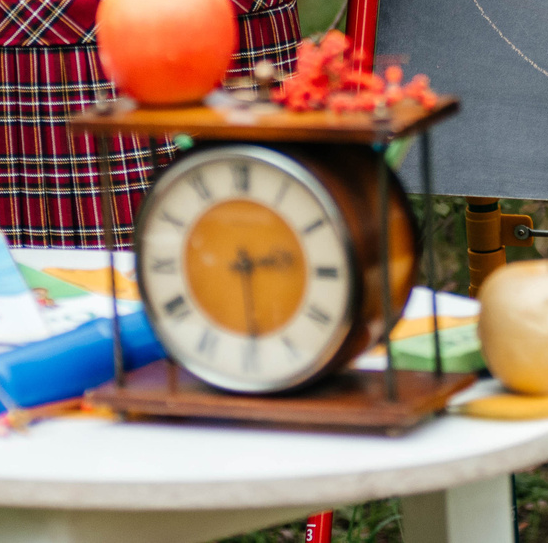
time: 2:29
